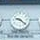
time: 9:22
